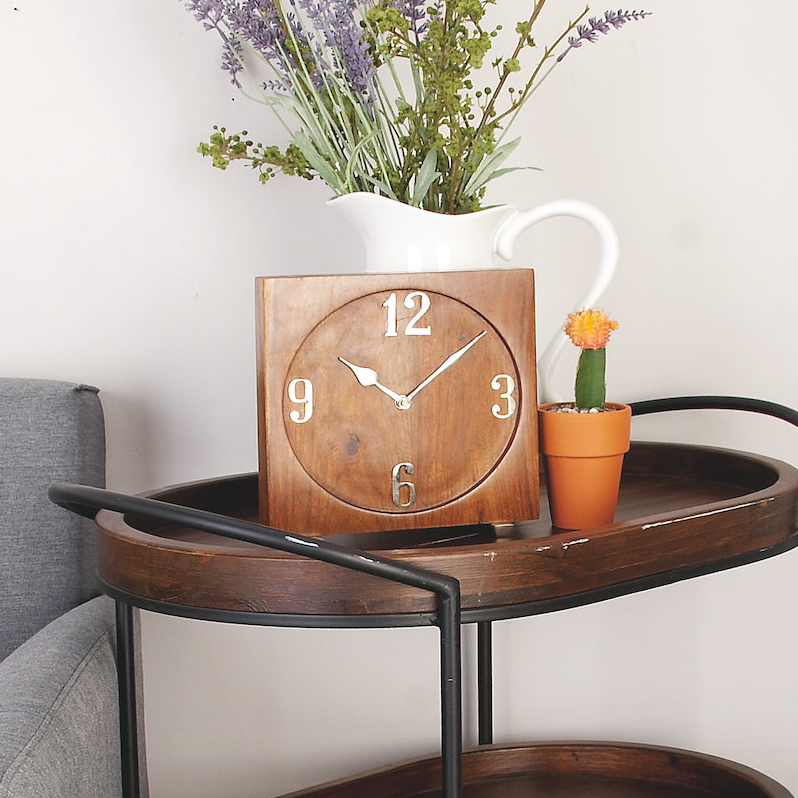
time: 10:07
